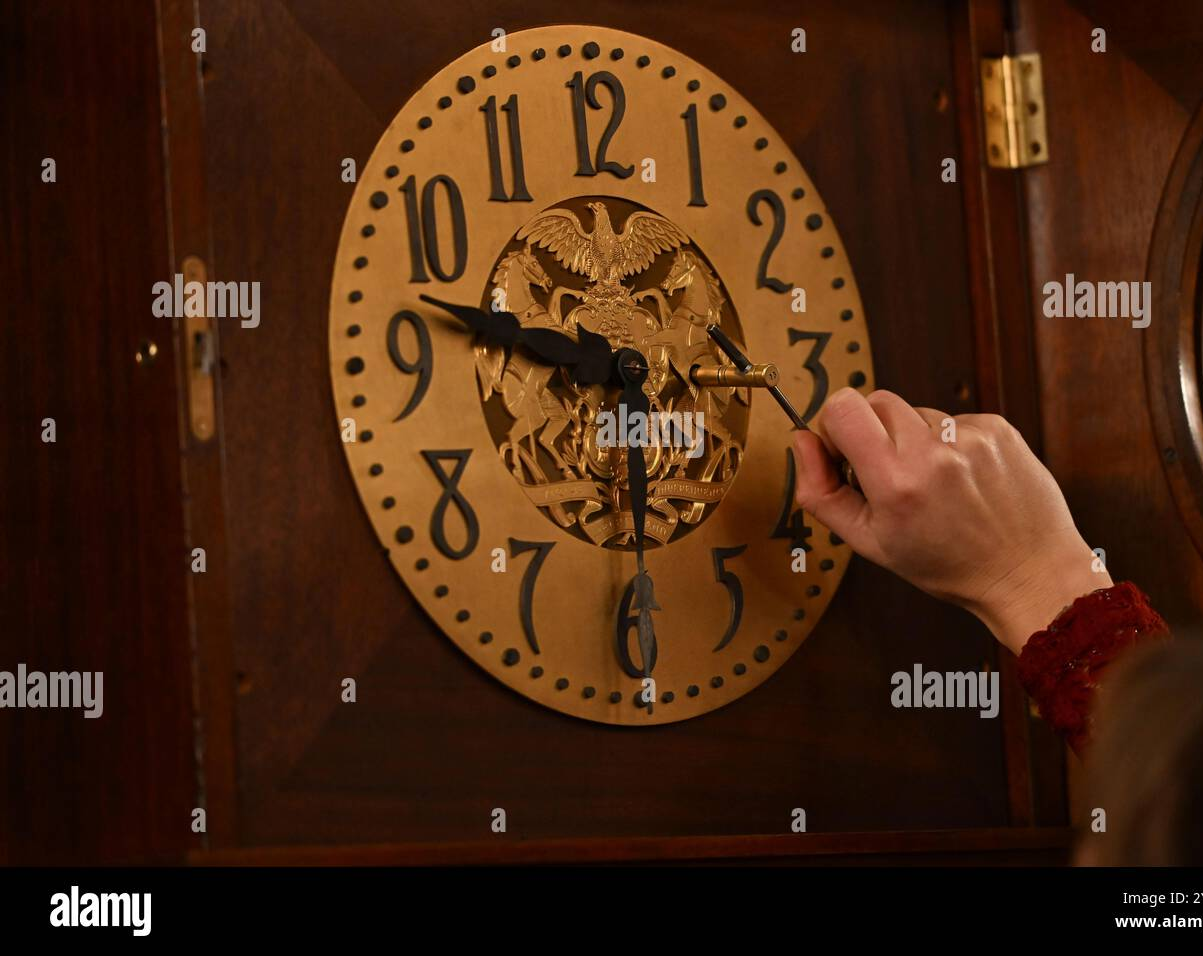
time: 9:30
